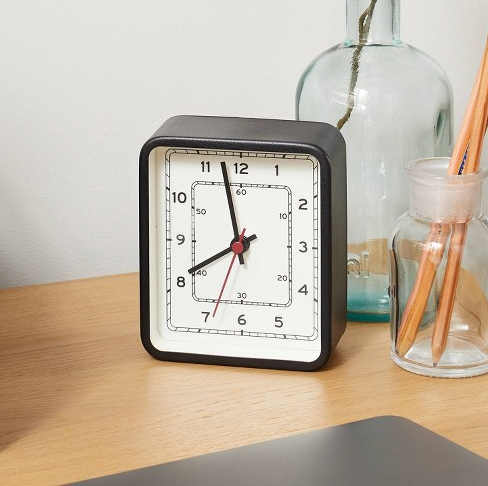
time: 7:57
